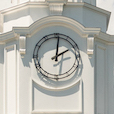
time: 2:01
